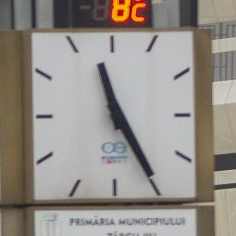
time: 11:24
